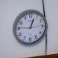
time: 12:46
